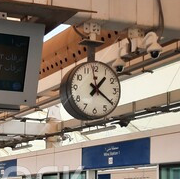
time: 1:20
